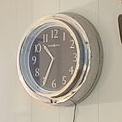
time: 10:34
